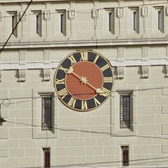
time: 10:21
